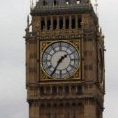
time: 1:35
